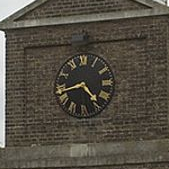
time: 4:42
